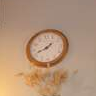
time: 1:41
